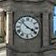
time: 3:52
